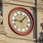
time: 9:07
